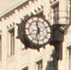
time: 11:32
